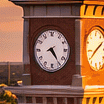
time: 8:24
